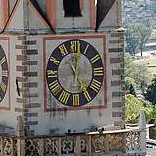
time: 4:59
